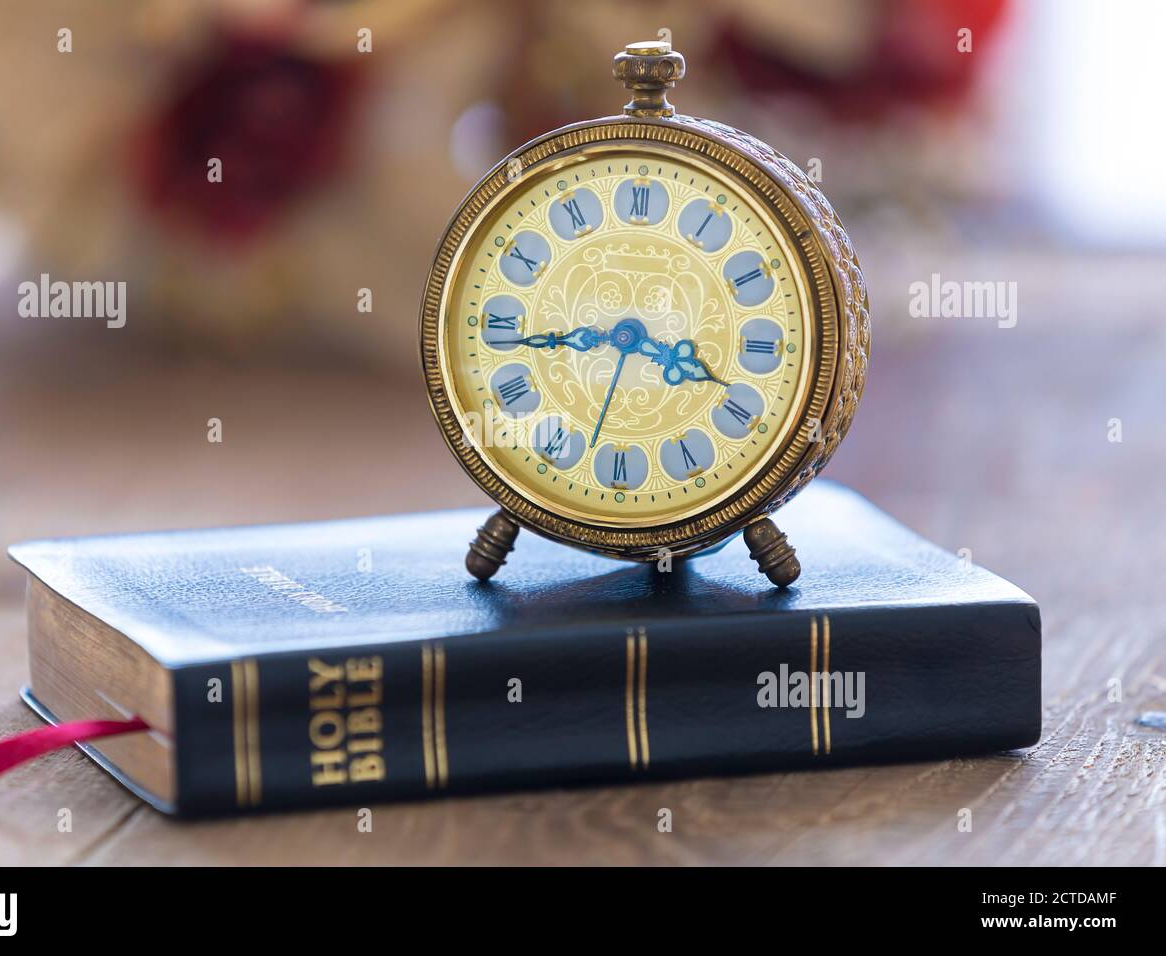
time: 3:43
